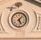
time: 5:06
